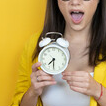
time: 7:30
